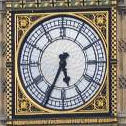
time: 5:34
